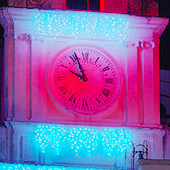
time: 9:56
